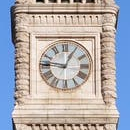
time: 12:46
